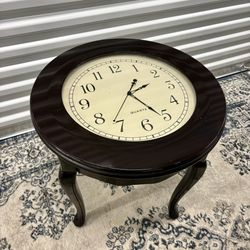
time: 1:25
